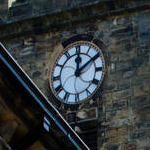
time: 12:09
